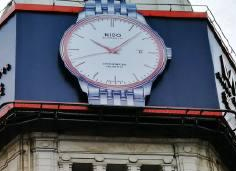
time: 10:07
